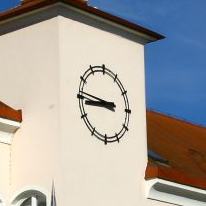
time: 8:46
